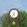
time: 4:36
